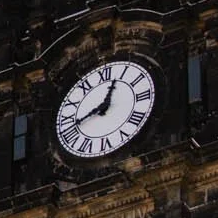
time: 12:42
